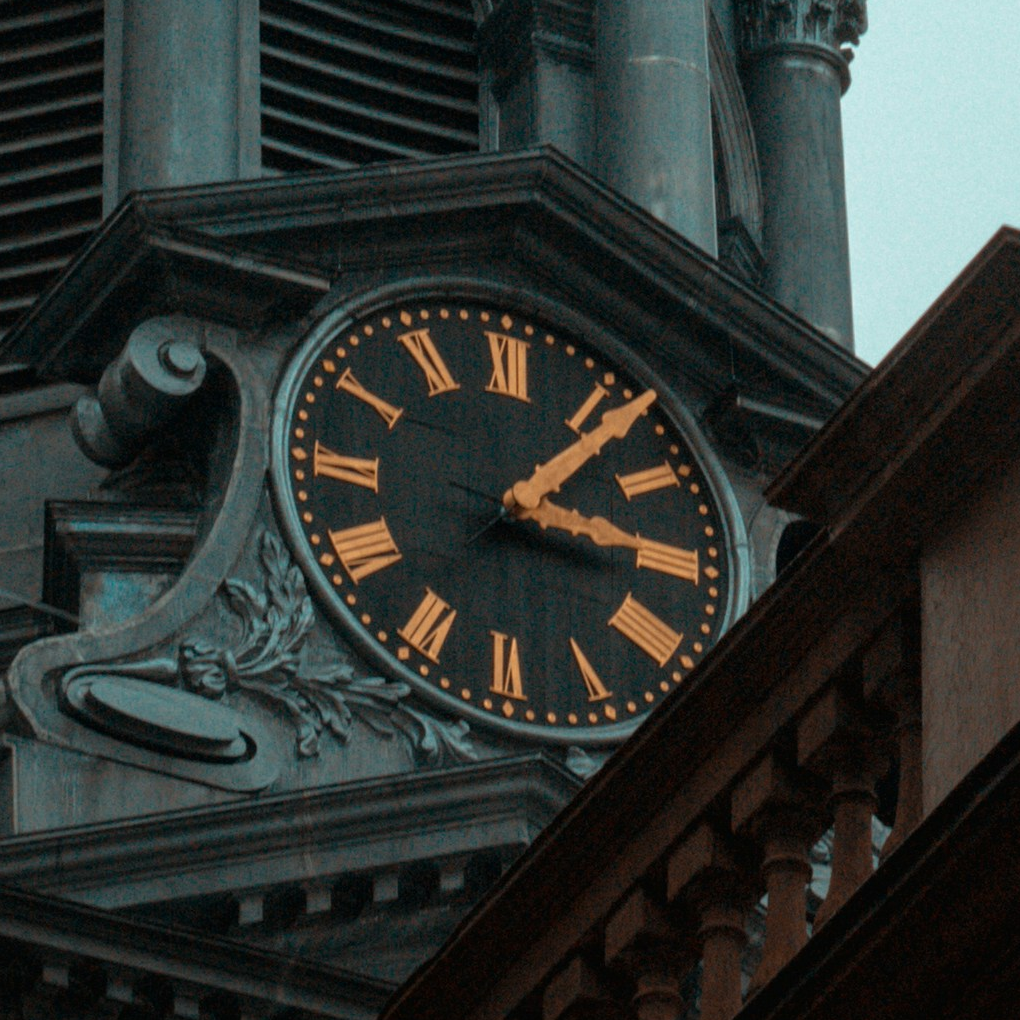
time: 3:06
